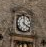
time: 4:01
